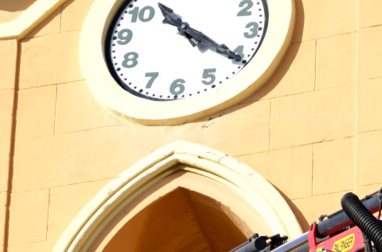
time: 10:20
